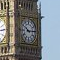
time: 10:14
